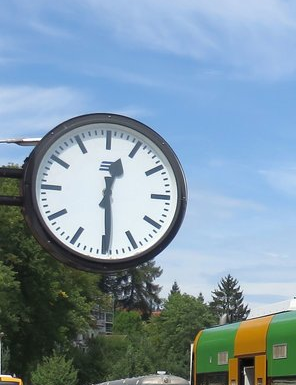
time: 12:29
